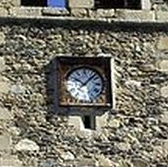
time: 10:07
